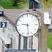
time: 9:28
